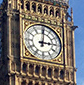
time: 3:01
